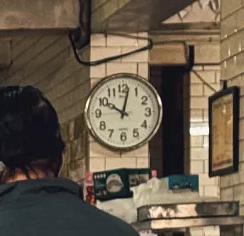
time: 10:02
